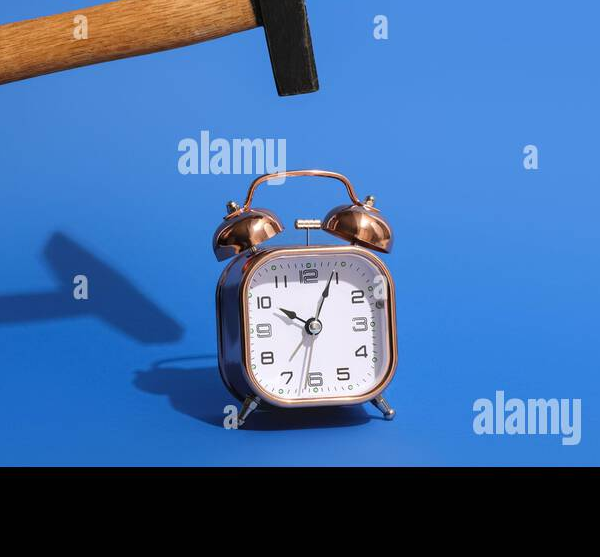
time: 10:04
